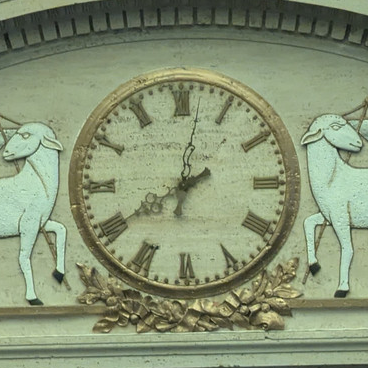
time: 8:01
